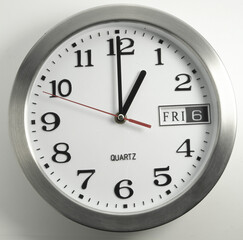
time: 12:59
